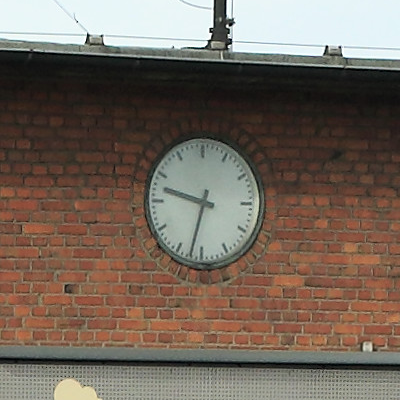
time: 9:32
